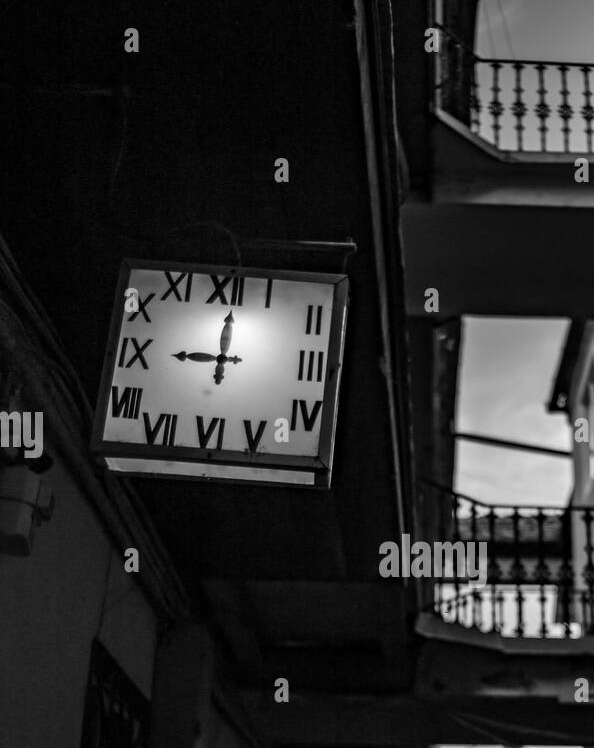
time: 9:00
